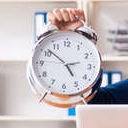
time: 4:51
